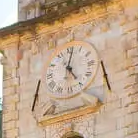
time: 5:01
